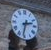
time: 2:32
